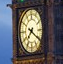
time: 7:20
